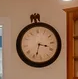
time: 3:33
